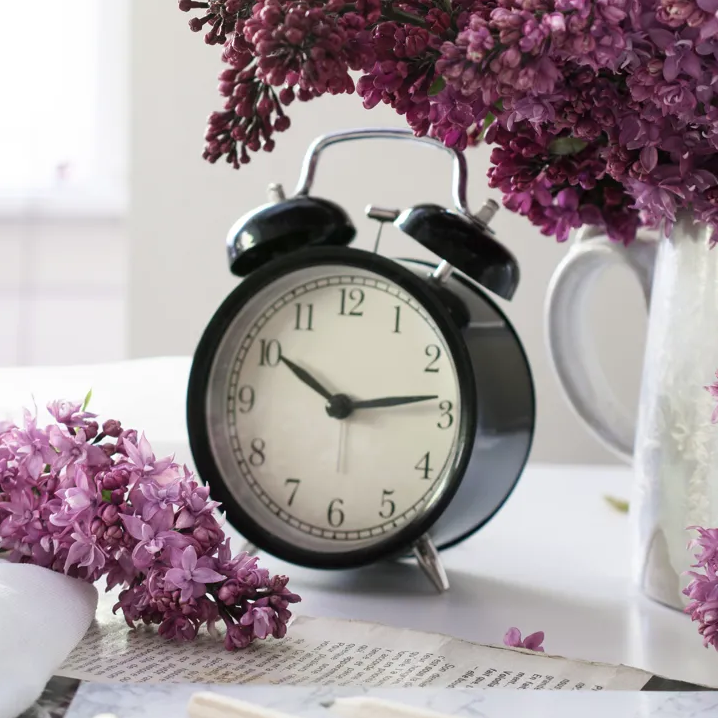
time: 10:13
